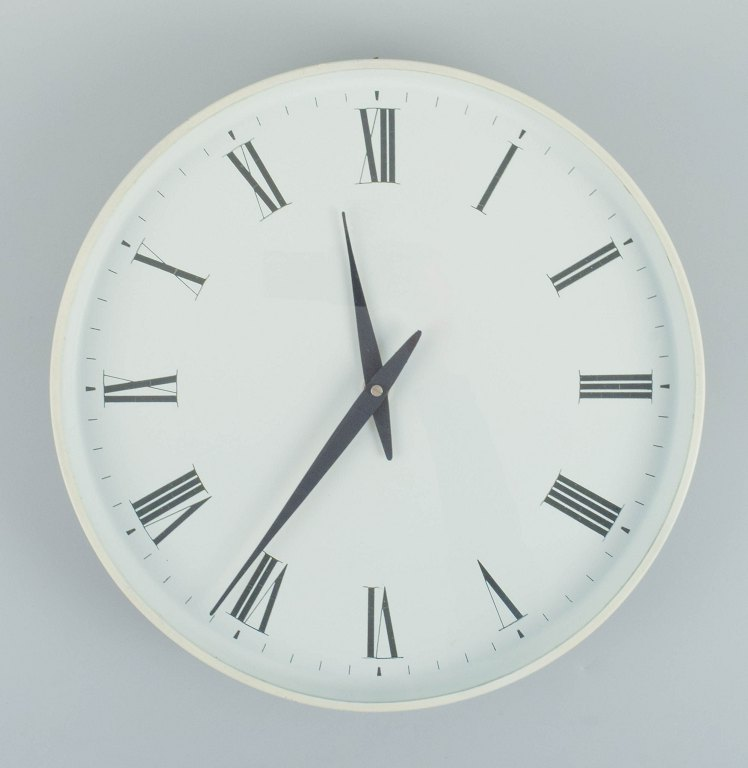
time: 11:35
